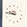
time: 9:45
